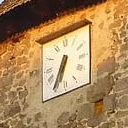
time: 6:34
